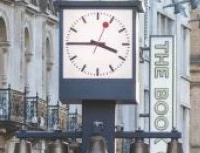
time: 3:45
